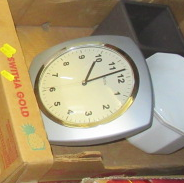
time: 1:12
